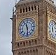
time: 11:29
